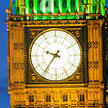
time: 9:36
